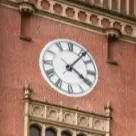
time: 4:06
